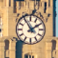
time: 1:54
